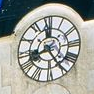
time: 8:25
